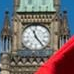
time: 11:23
